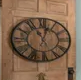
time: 11:02
